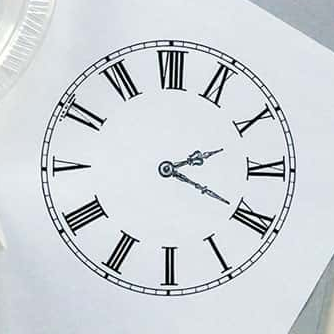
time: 2:19
